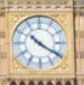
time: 10:20
